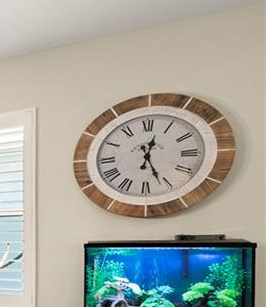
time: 12:26
